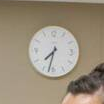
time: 7:32
